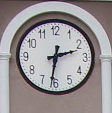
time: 2:31
